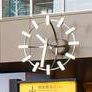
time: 10:32
